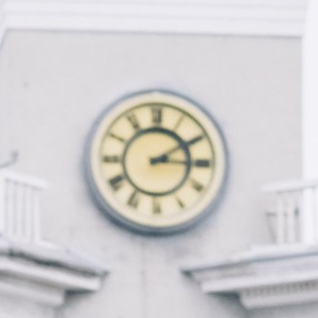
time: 3:10
